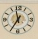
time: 11:35
